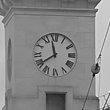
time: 11:39
